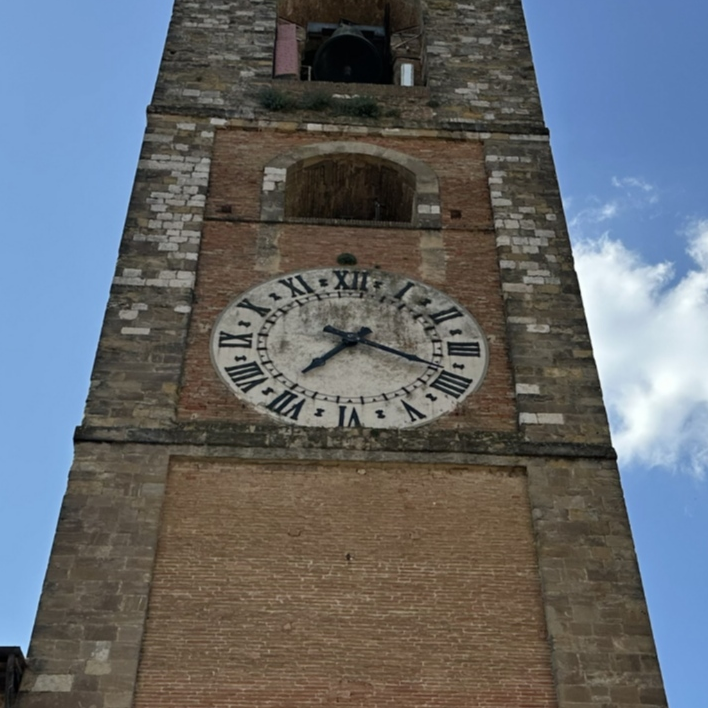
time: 7:18
